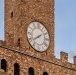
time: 8:09
